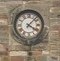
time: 4:07
